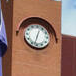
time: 12:32
